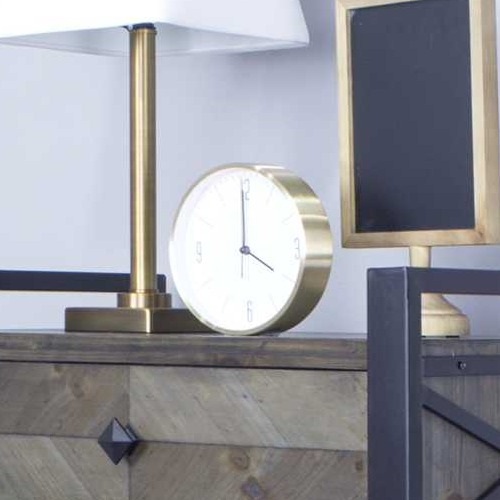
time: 4:00
